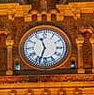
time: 11:33
